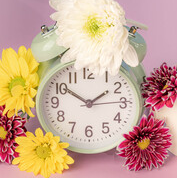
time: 1:50
